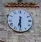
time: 6:29
